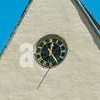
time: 12:24
